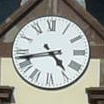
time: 4:42
